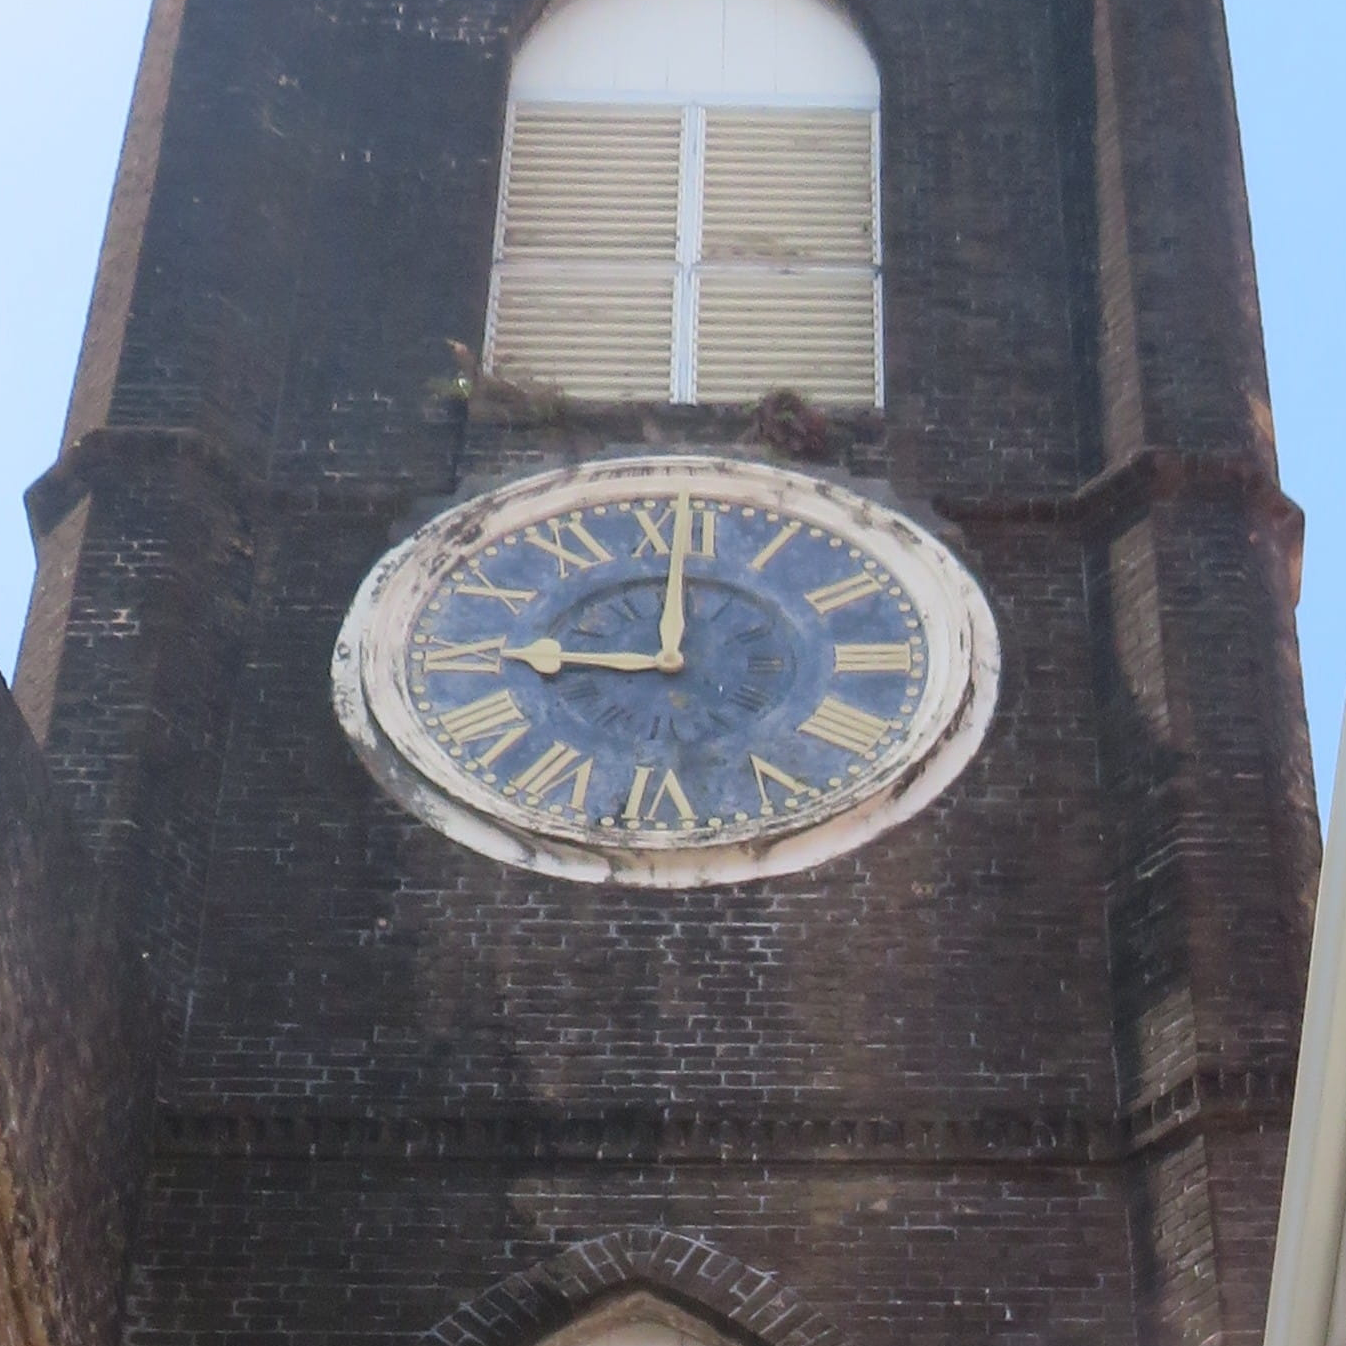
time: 9:00
